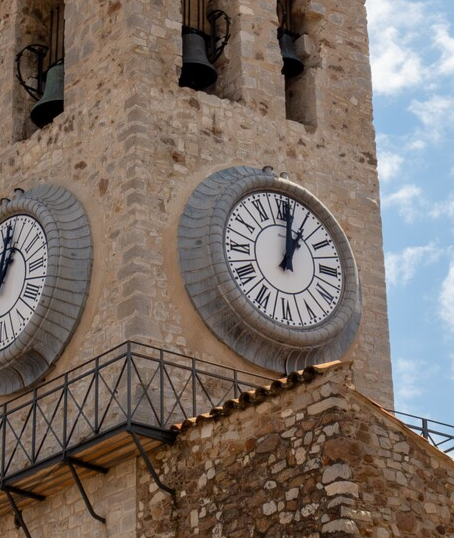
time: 1:01
